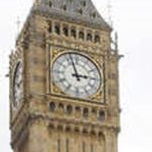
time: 2:57
